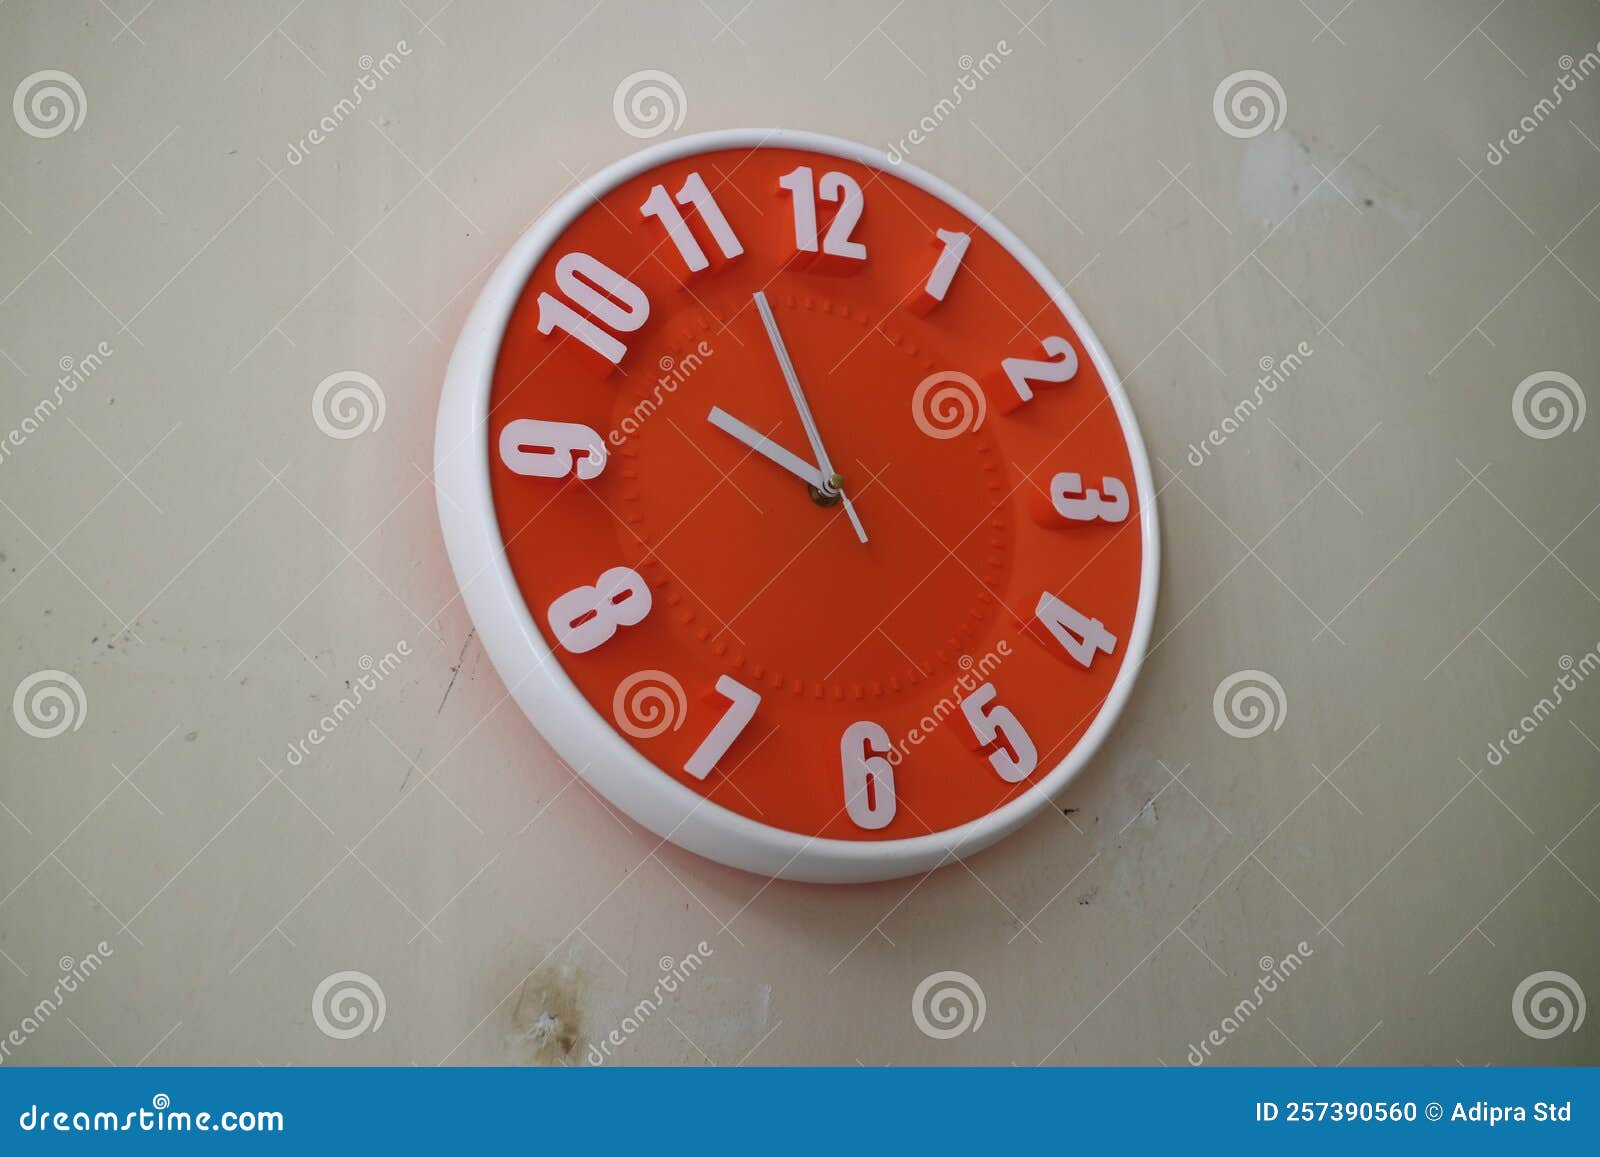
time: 9:56
